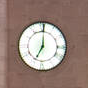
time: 7:00
